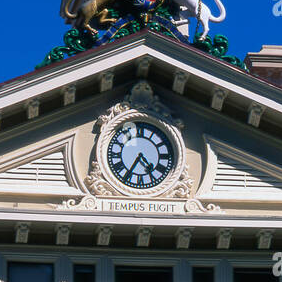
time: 4:34
